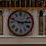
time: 2:48
